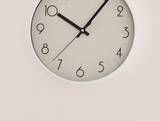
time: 10:06
